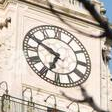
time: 6:49
